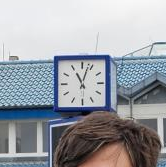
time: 11:03
